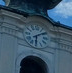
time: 6:09
